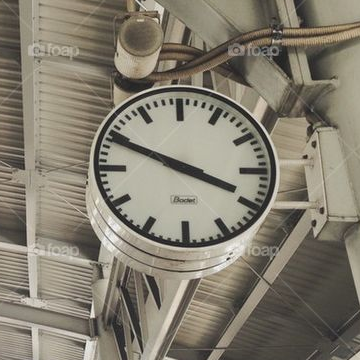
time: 3:49
